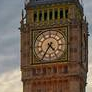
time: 4:35
